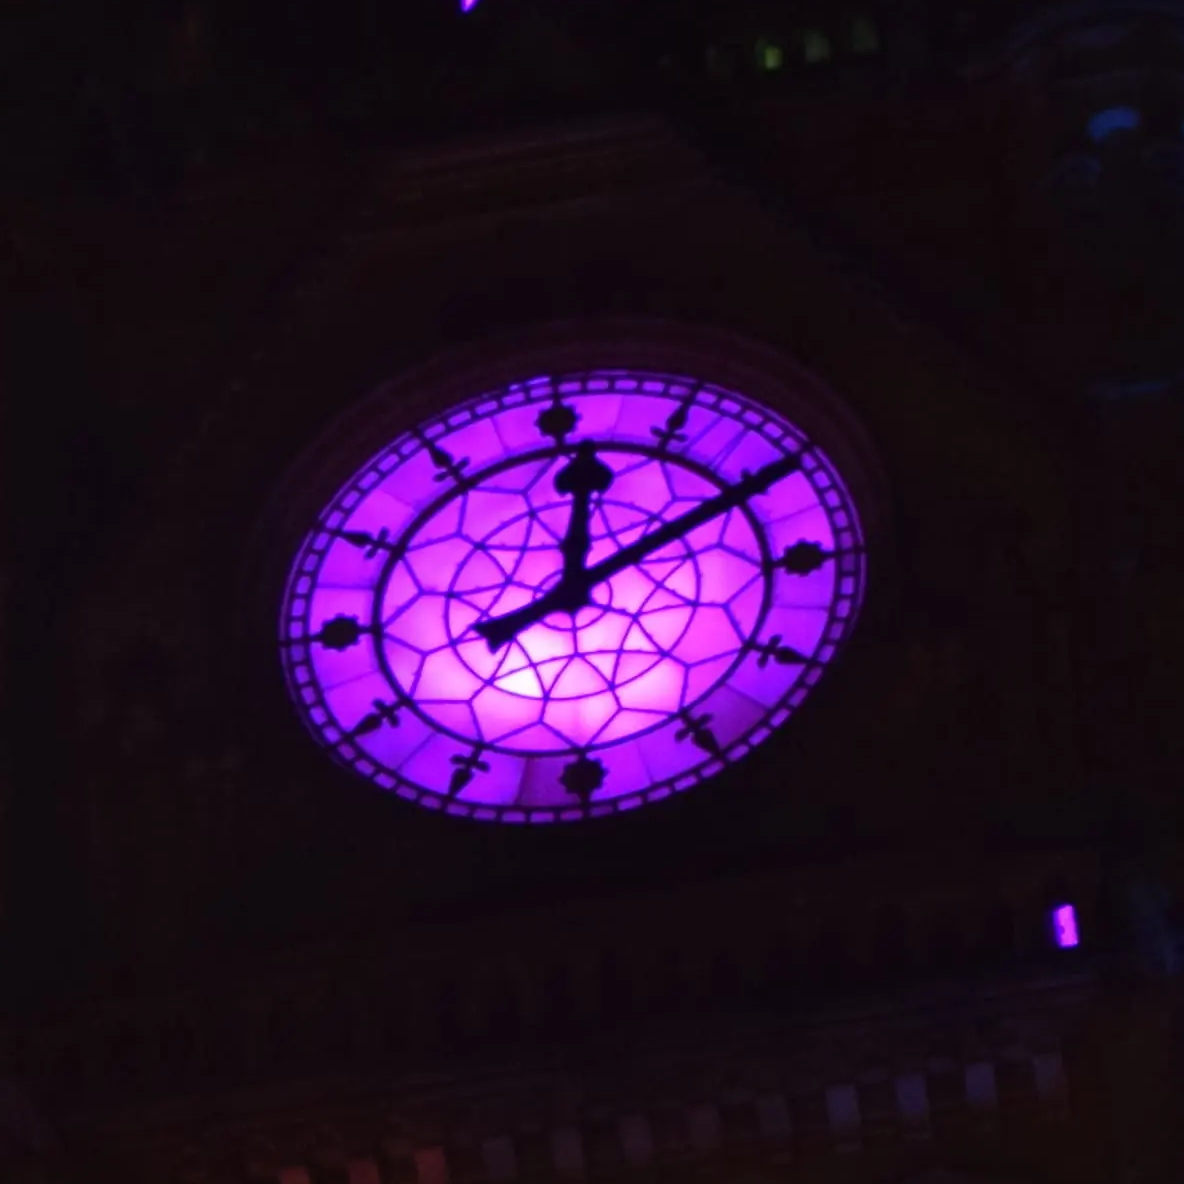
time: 12:10
